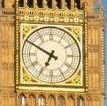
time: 6:49
